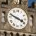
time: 3:48
